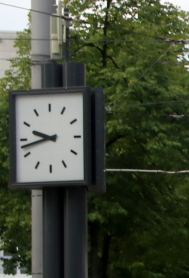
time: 9:42
